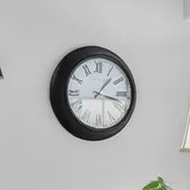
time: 1:17
